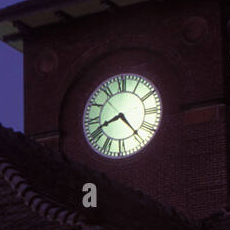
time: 8:23
